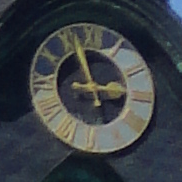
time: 2:56
